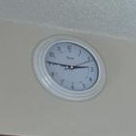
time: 2:46
